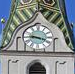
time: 9:18
